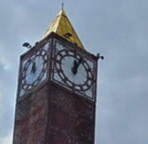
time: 12:03
